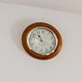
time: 10:47
